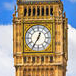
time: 12:35
